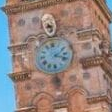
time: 2:18
